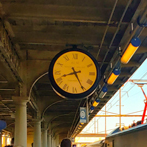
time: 8:25
